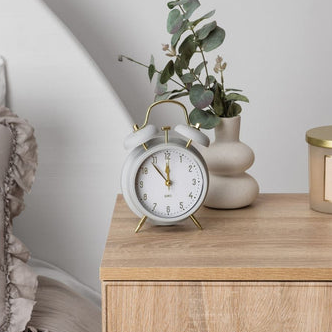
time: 11:53
